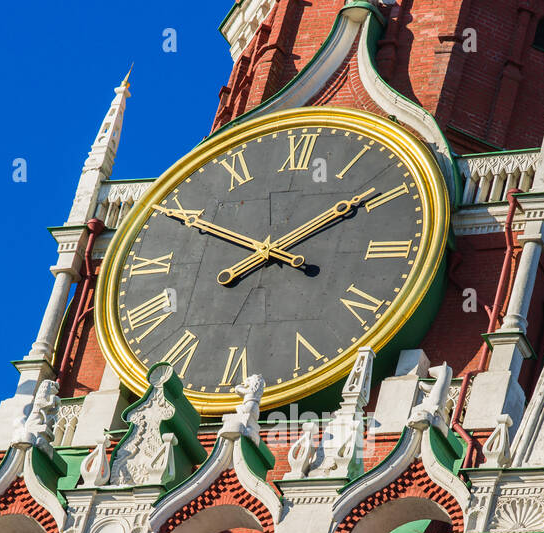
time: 1:49
